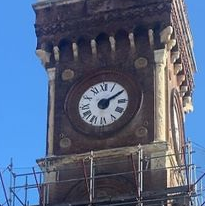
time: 2:10
